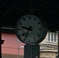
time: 9:34
